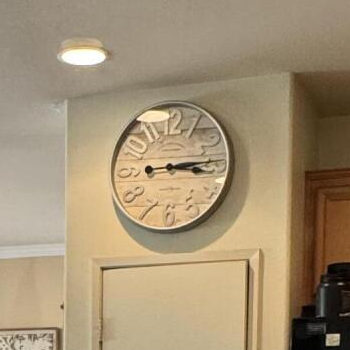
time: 3:14
